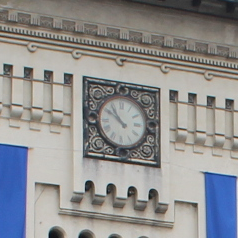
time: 10:51
